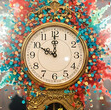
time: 10:00
